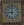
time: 8:59
